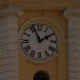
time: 1:56
